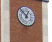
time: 12:52
